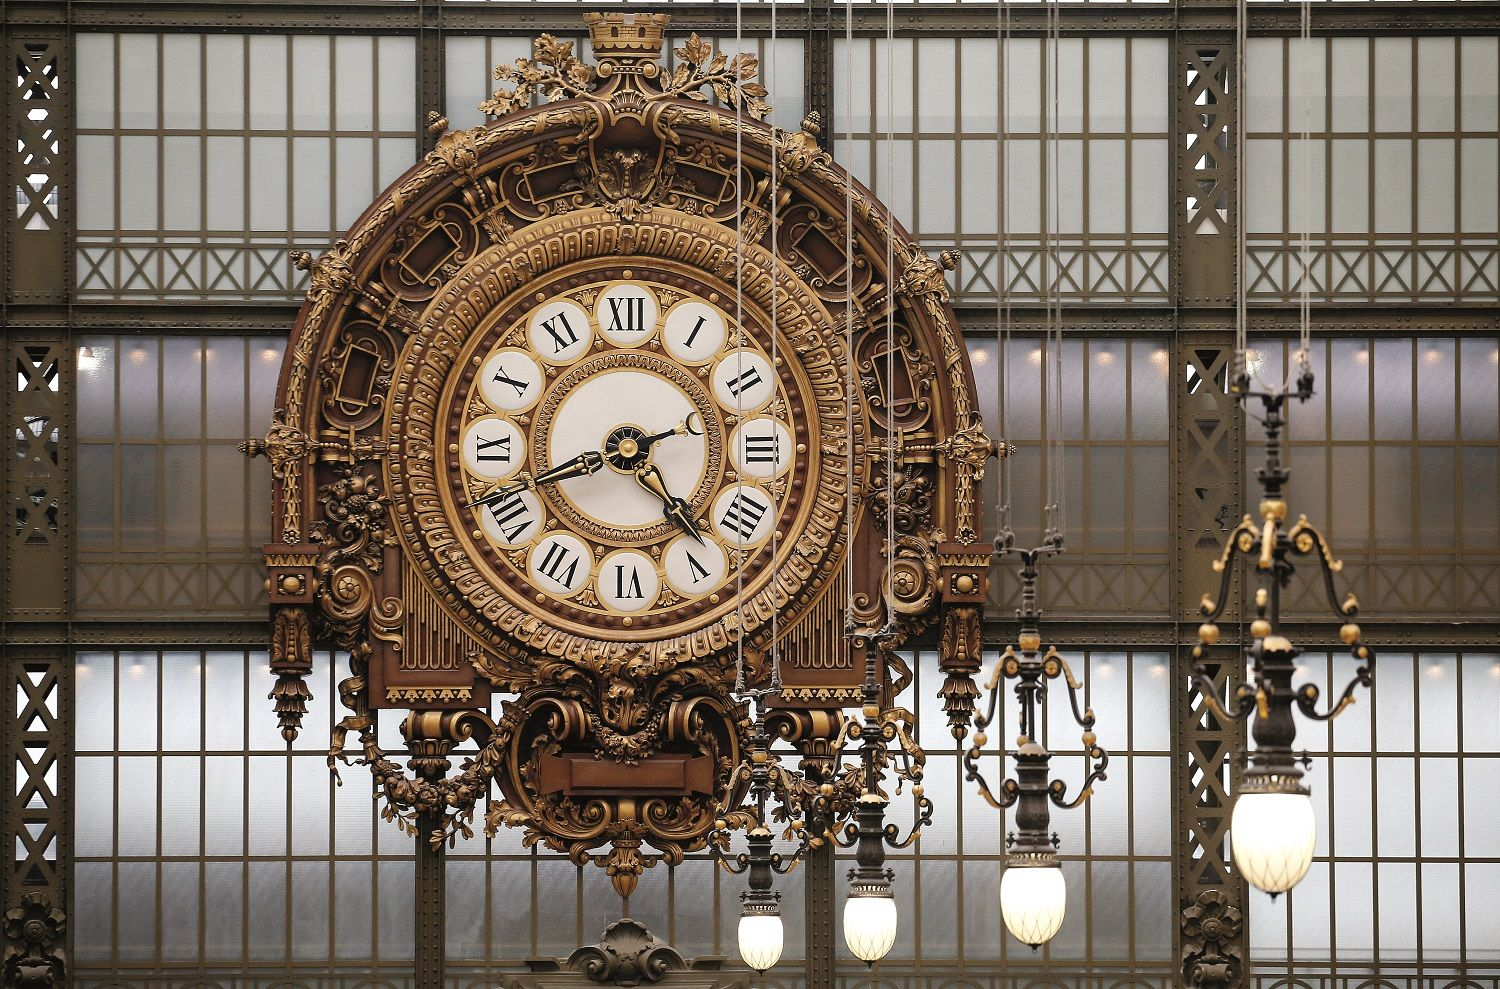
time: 4:41
